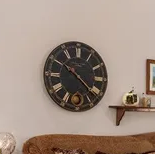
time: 10:21
